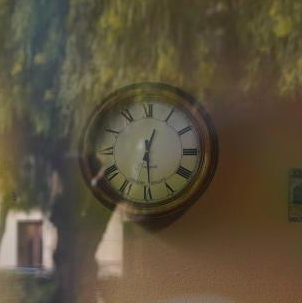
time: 12:29
